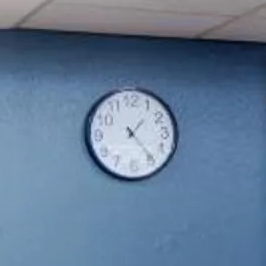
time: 1:23
